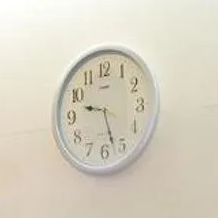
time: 9:27
